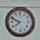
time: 7:49
